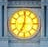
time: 7:01
